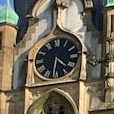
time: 4:31
